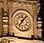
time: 7:07
